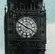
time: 3:50
